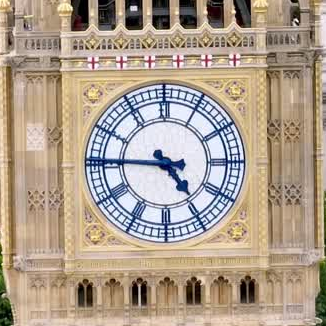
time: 4:45
